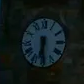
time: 6:29
